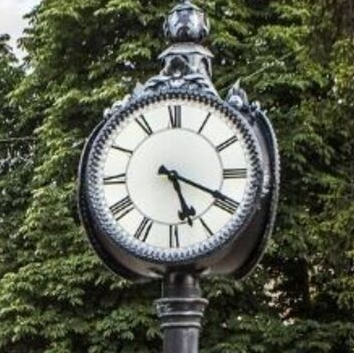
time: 5:19
